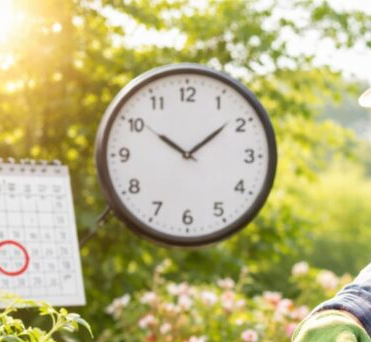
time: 10:08
